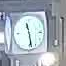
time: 11:28
